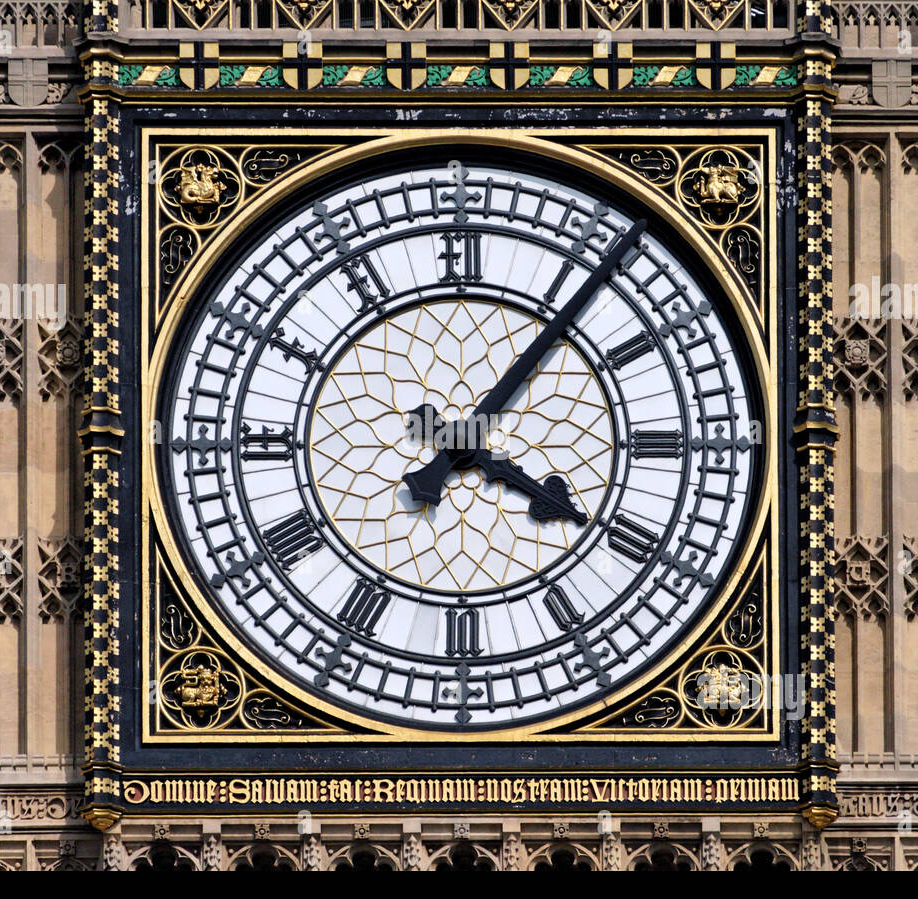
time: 4:06
